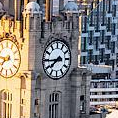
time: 7:44
